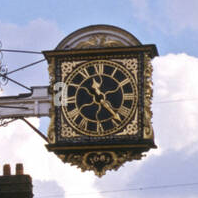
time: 11:22
